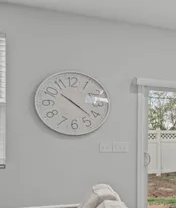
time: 10:21
